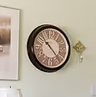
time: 10:23
